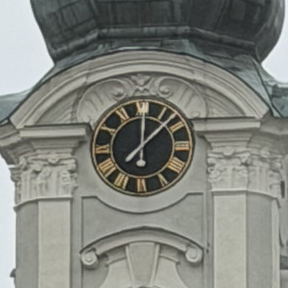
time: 12:07
